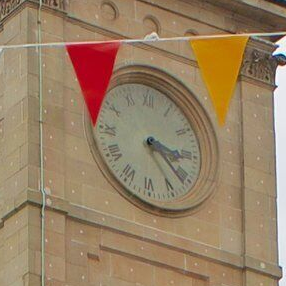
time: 3:21
